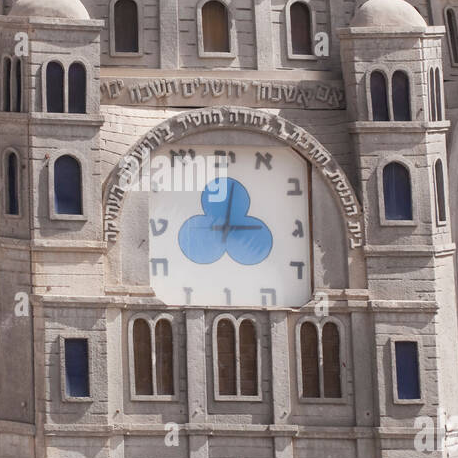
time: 3:01
